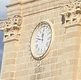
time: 11:47
